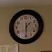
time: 1:30
